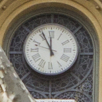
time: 11:55
